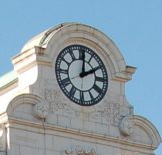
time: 2:00
